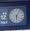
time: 6:05
